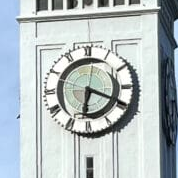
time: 6:19
